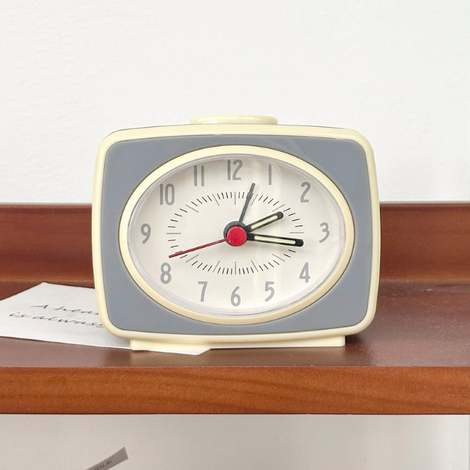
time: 2:16
